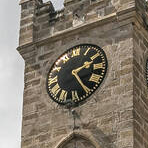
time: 2:24
